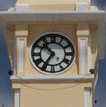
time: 10:35
